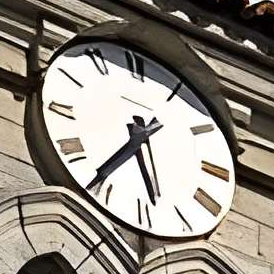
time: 5:36
